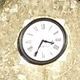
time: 3:34
